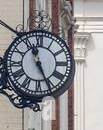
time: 11:25
